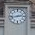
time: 2:42
